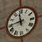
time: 11:43
